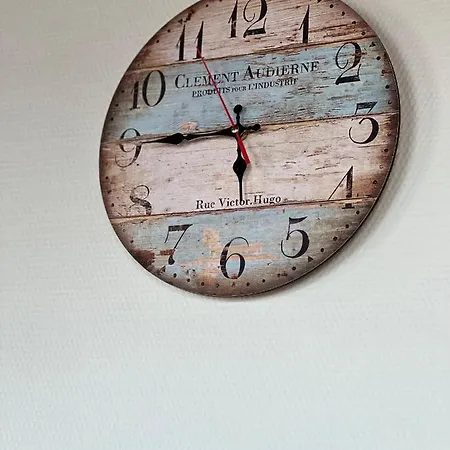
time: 5:45
